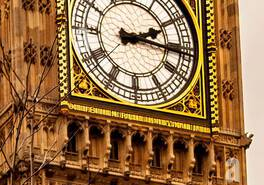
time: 2:16
